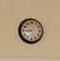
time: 8:45
